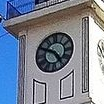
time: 4:49
